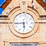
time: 5:44
